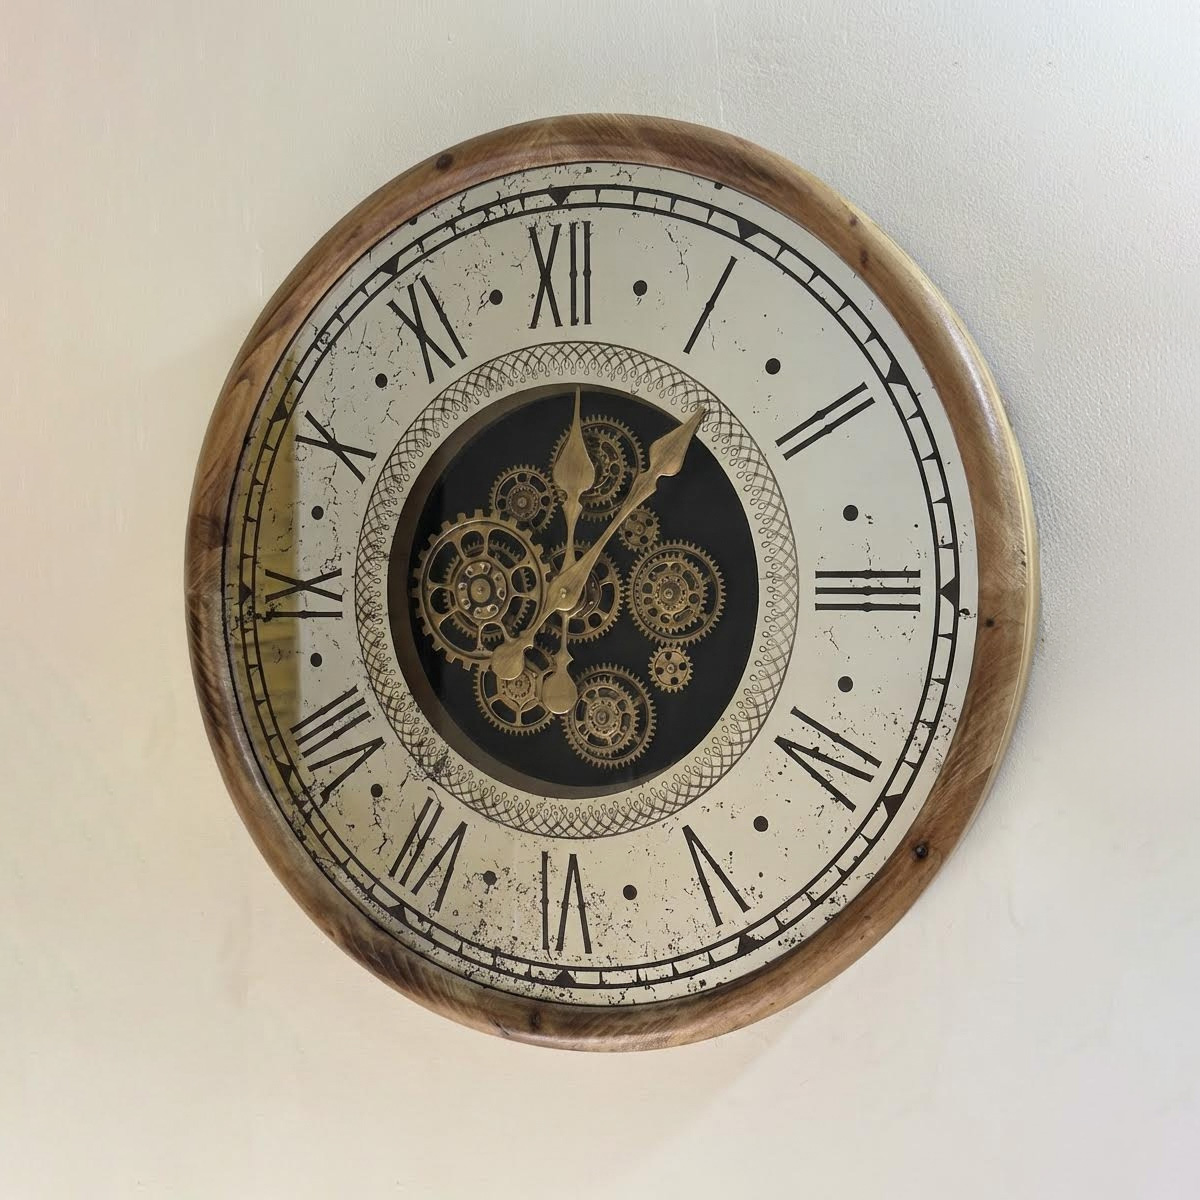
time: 12:07
